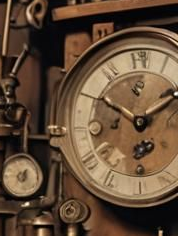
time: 1:50
